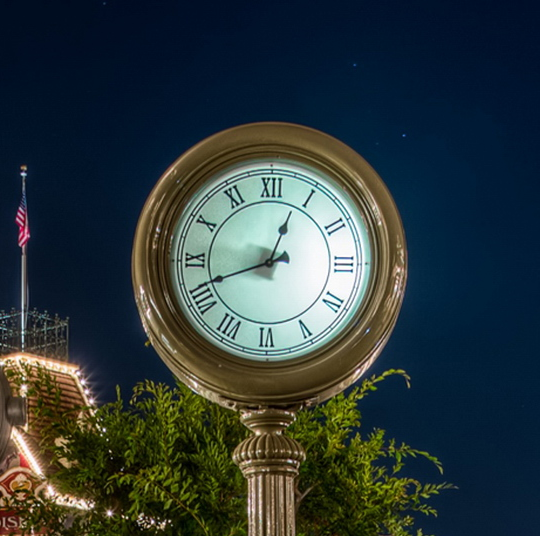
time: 12:41
